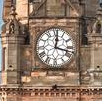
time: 12:17
